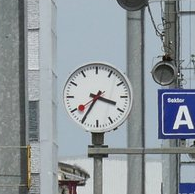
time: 3:35
